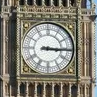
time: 3:15
